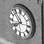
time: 7:52
